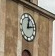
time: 12:12
